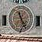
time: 11:25
